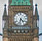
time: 4:32
